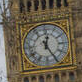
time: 12:24
